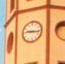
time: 9:16
